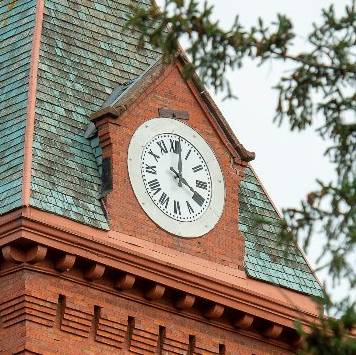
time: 4:01
